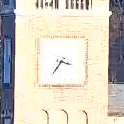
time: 3:35
